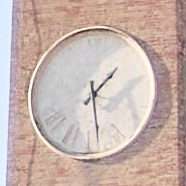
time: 1:28
